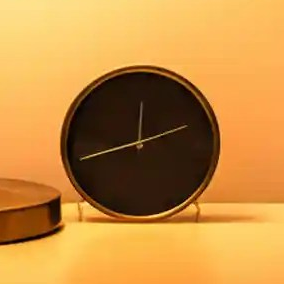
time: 12:11
